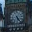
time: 5:24
